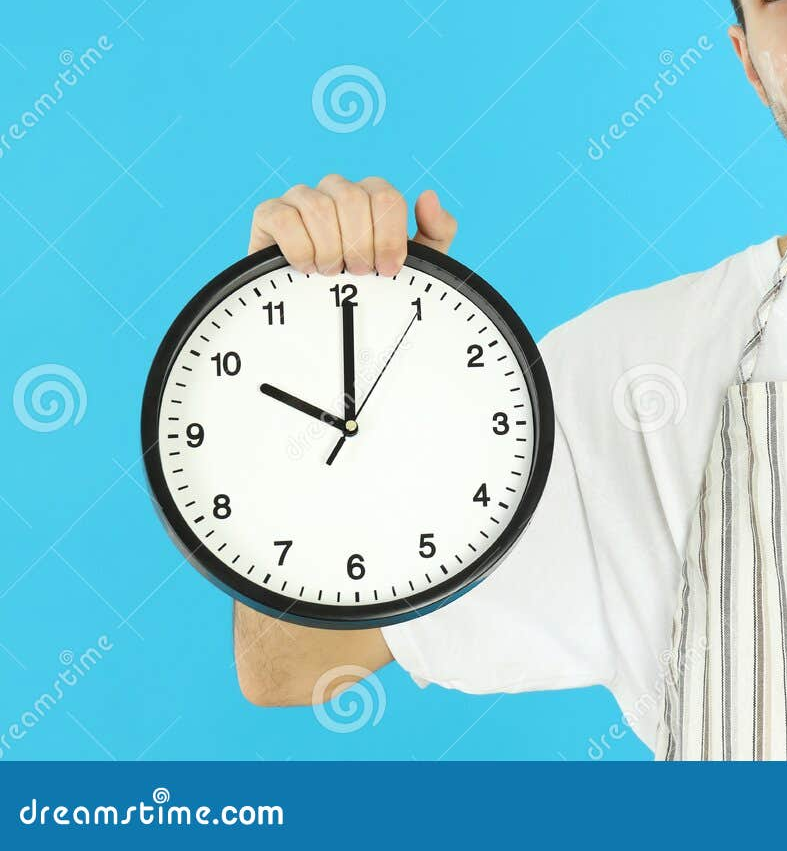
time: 10:00
